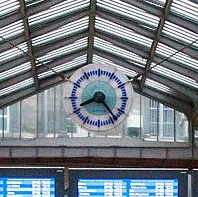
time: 8:23
